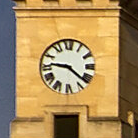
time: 9:21
